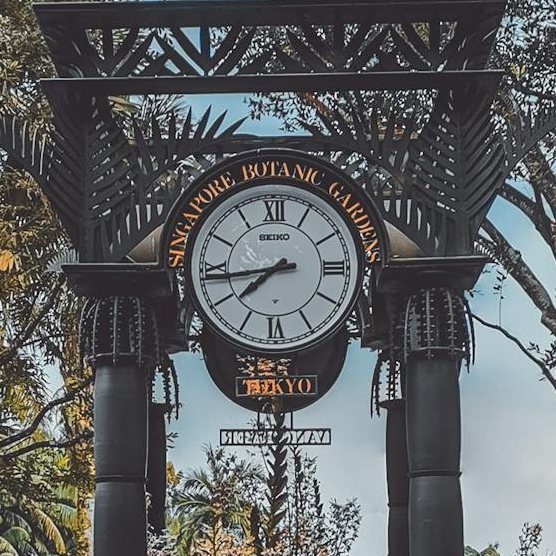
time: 7:43
